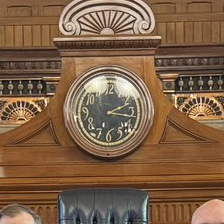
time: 3:11
